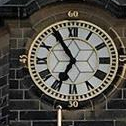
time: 6:54
